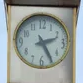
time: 2:24
